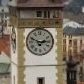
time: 2:48
